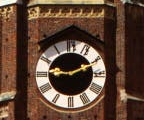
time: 9:10
